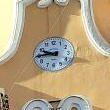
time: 9:44
